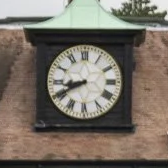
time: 8:40
